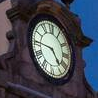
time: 4:45
